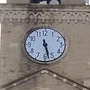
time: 5:27
